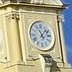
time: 11:07
